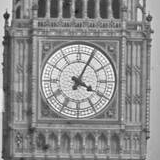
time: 4:04
